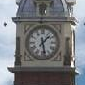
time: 1:28
